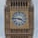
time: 3:46
